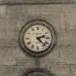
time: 2:22
